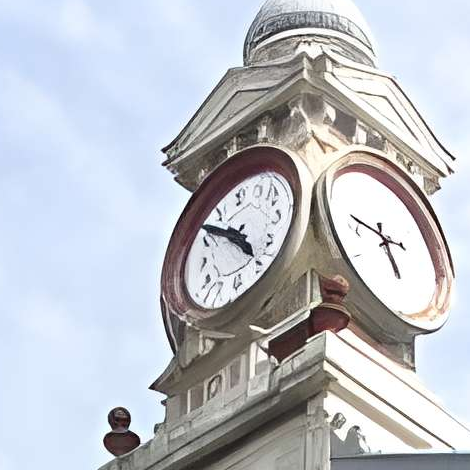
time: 4:51
